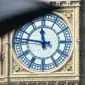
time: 11:46
